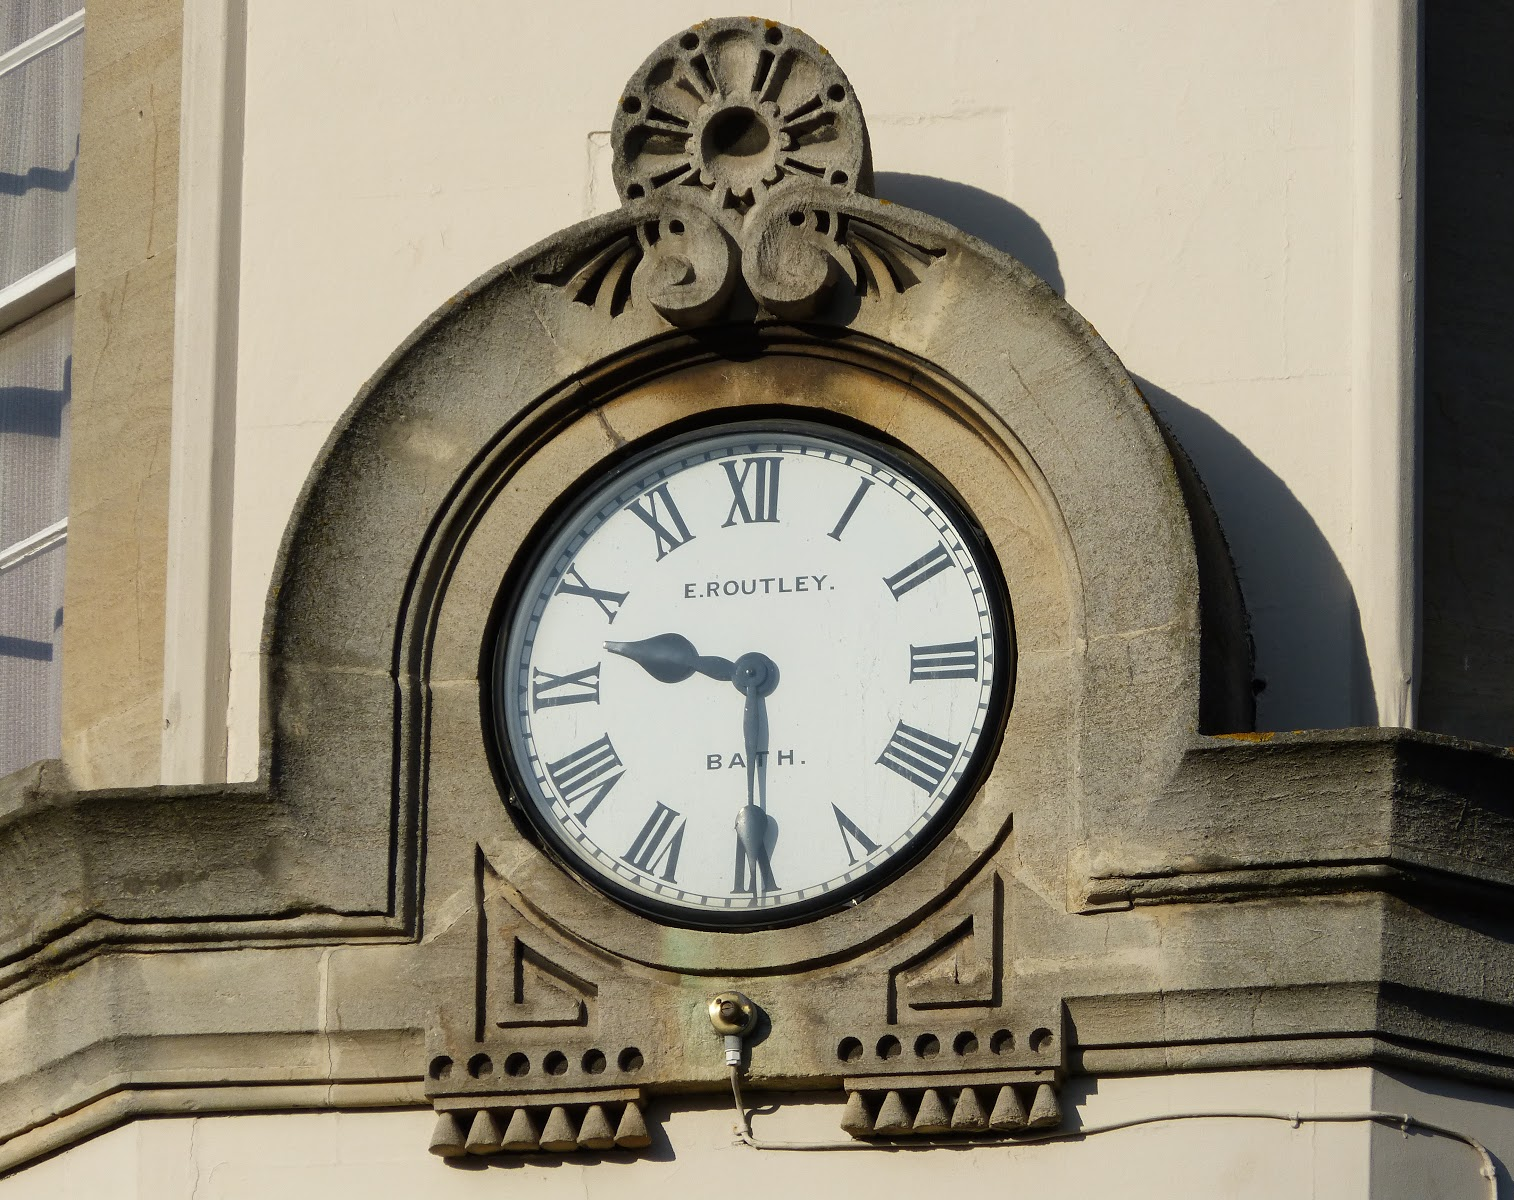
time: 9:29
